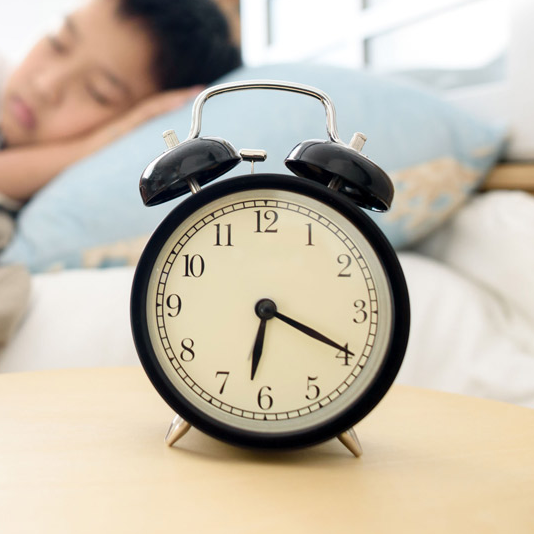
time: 6:19
